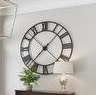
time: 1:37
